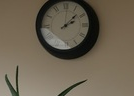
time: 2:07
